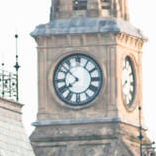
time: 7:51
